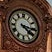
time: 4:16
